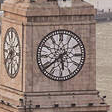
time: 5:38
